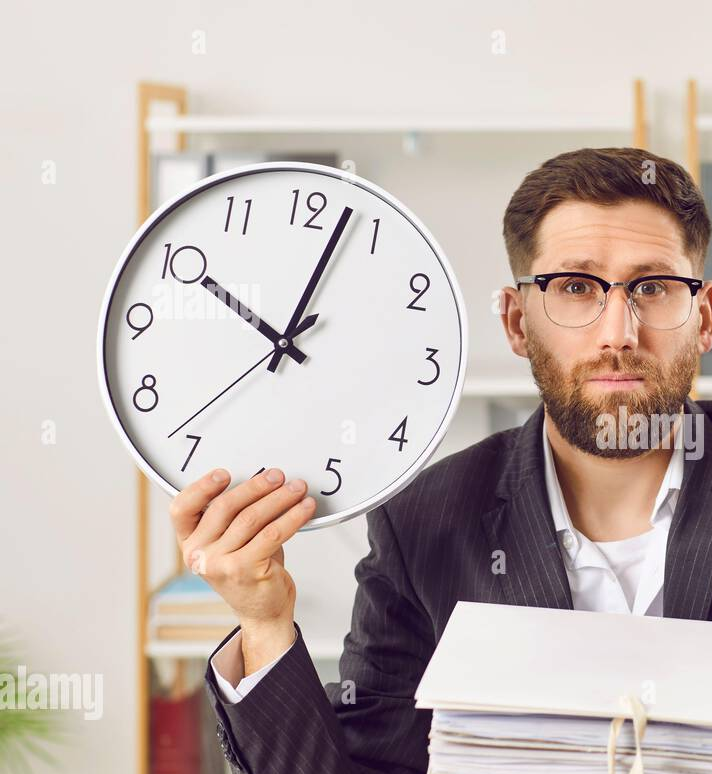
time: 10:02
